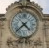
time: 4:37
